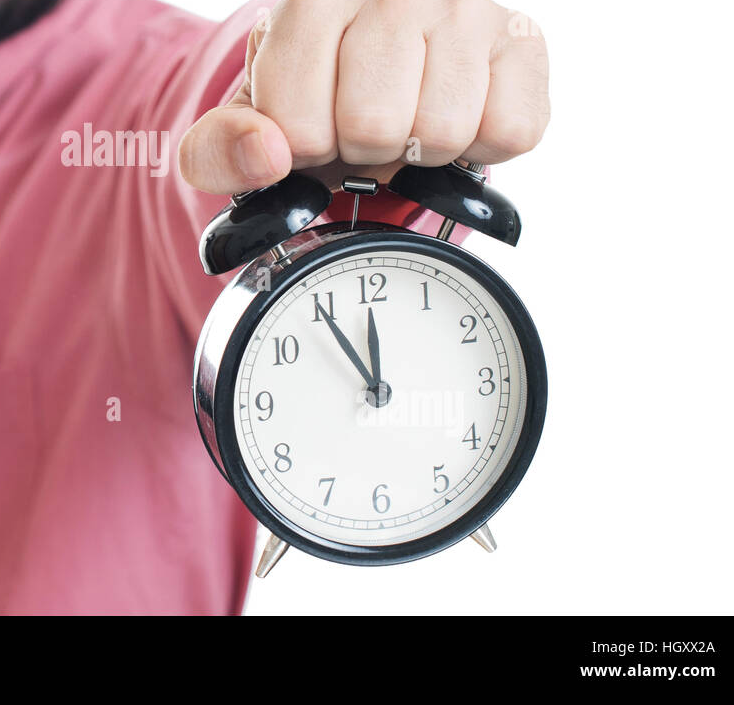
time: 11:54
